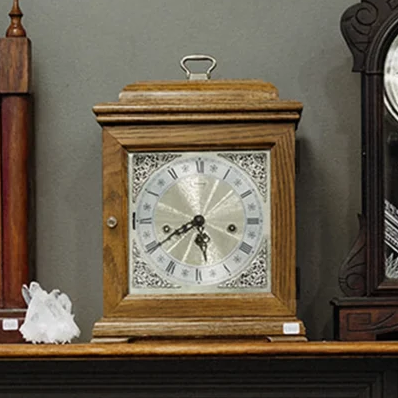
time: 5:40
